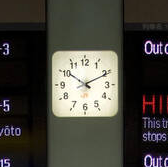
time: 10:10
